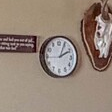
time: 2:04
